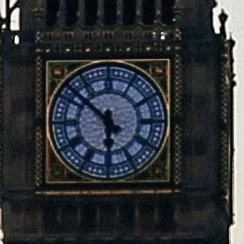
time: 5:51
